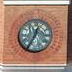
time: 12:34
